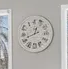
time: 12:41
